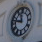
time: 11:47
